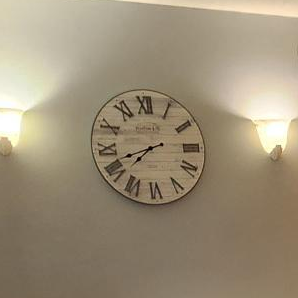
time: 7:42
